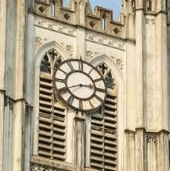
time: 2:40
